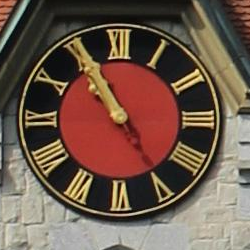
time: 10:55
